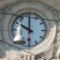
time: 10:00
